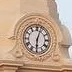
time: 6:03
